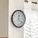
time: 12:21
